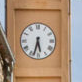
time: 5:33
